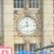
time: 11:41
